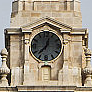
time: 12:37
